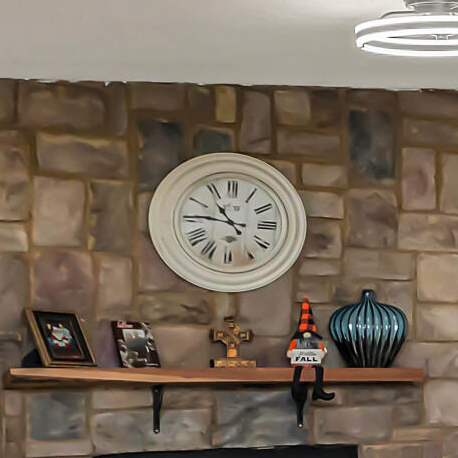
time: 10:45
